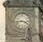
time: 3:43
